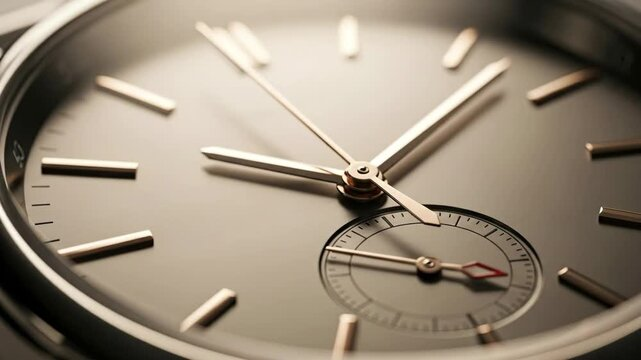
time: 9:07
